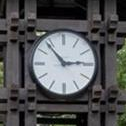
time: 2:53
